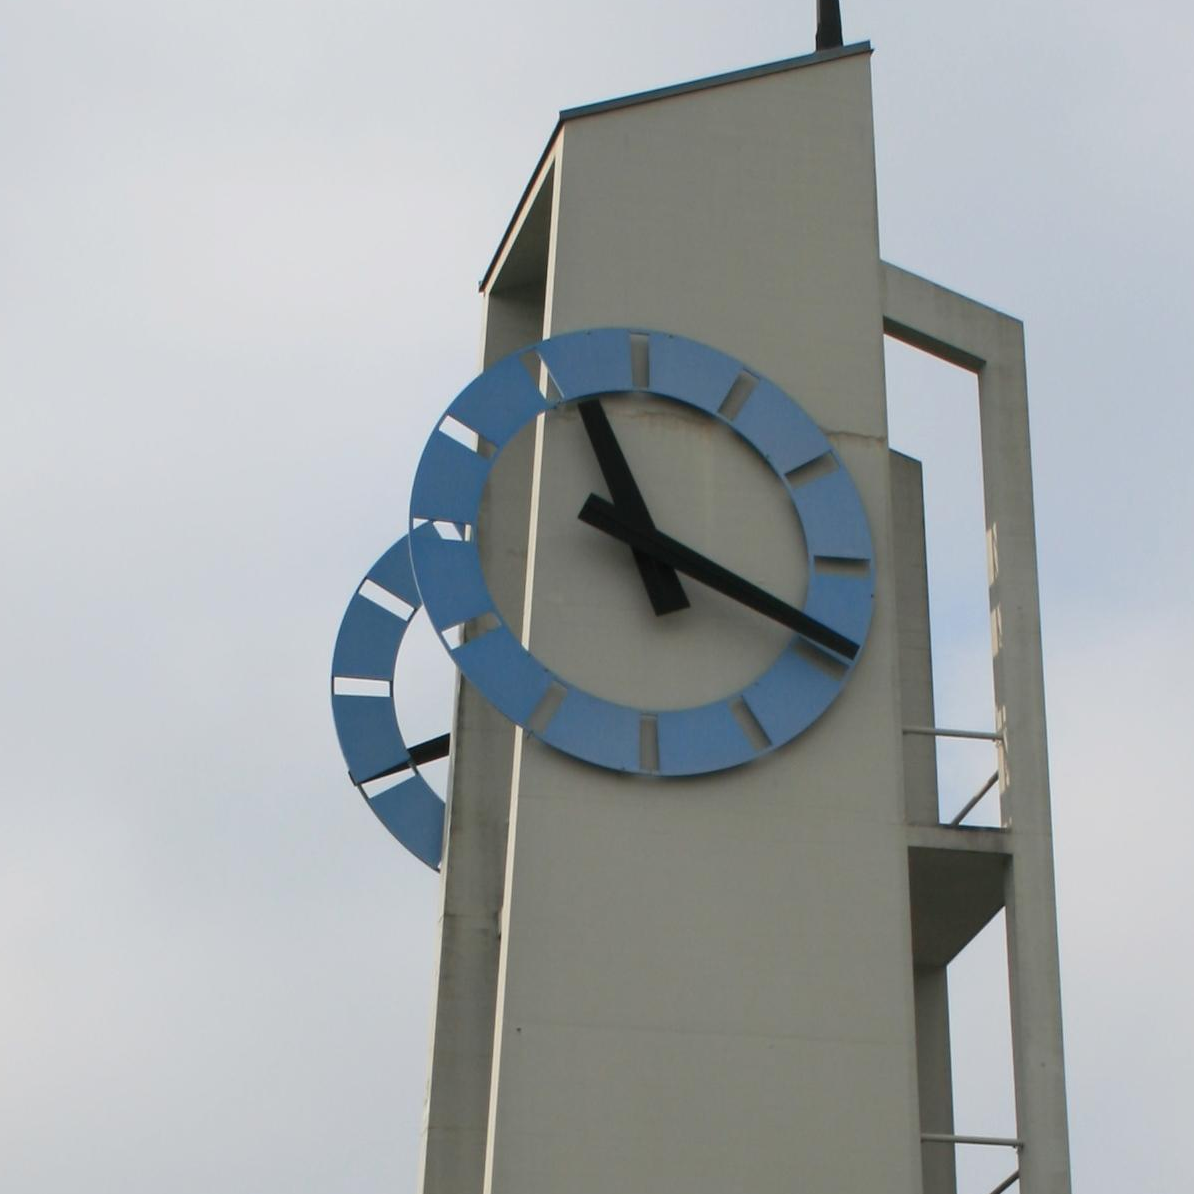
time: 11:19
